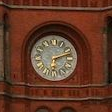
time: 2:11
